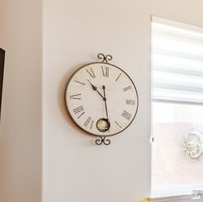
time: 10:28
